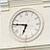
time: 6:46
